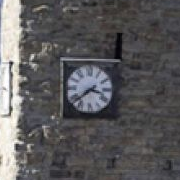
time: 3:38
